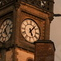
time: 5:06
